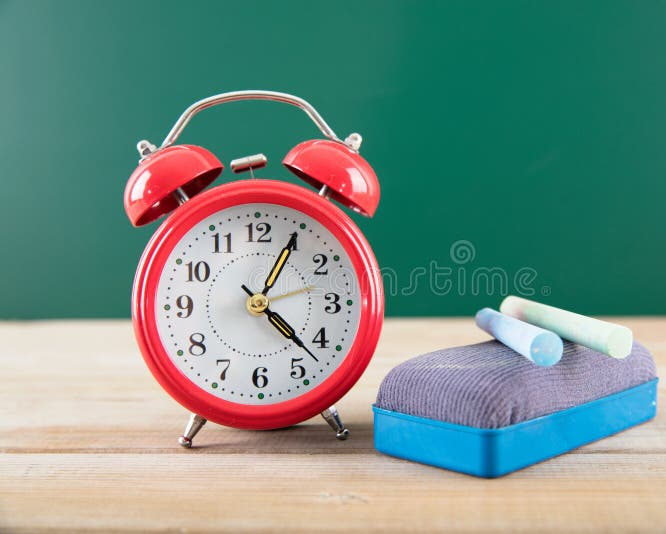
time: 4:22
